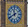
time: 11:40
